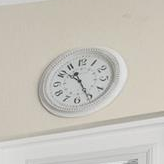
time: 10:25
